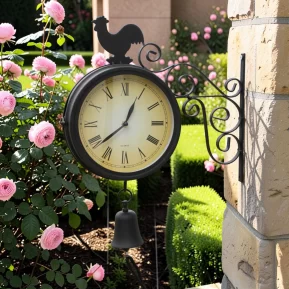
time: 12:38
